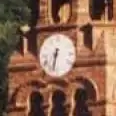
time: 6:32
